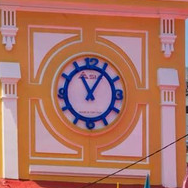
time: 11:05
